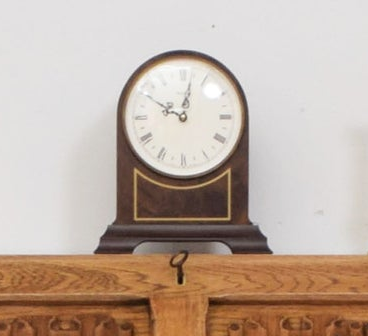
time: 10:02
